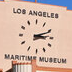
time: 3:11
